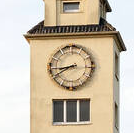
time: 8:40
